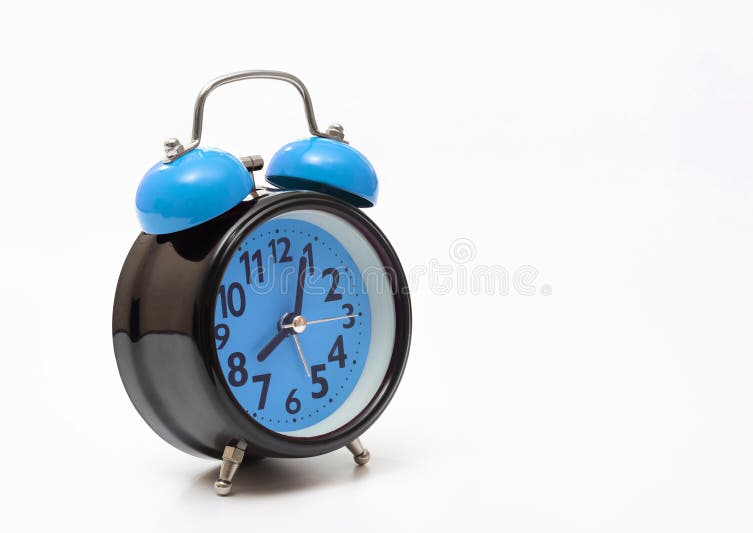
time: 8:03
